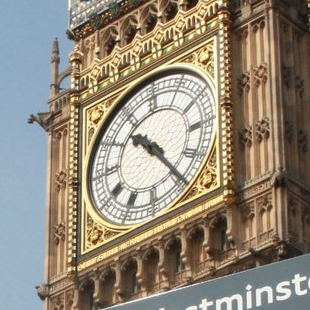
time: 10:24
